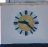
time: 9:22
